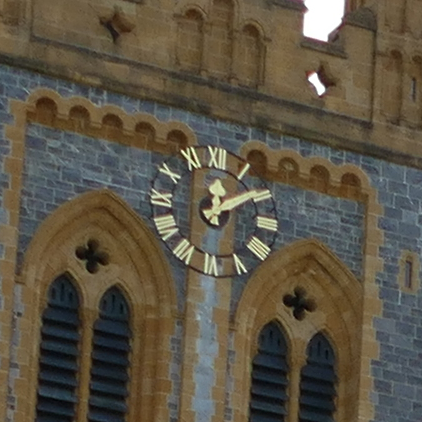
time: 12:09
